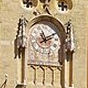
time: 11:09
